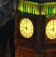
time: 8:59
